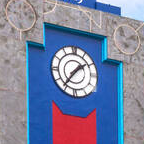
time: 1:36
